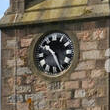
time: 10:26
